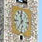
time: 11:35
